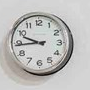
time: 9:44
